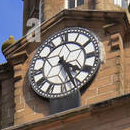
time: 4:26
